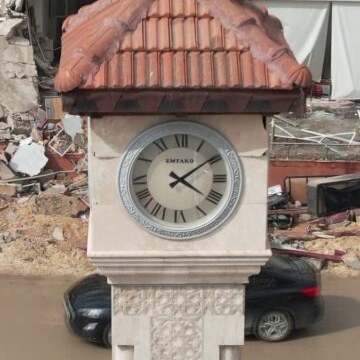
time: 4:09
